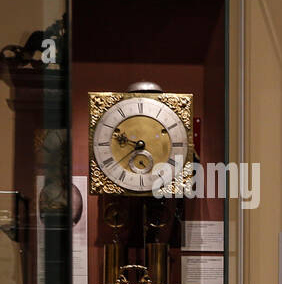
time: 9:38
